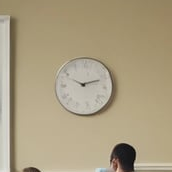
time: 2:11
